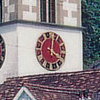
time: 4:00
